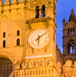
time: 6:08
